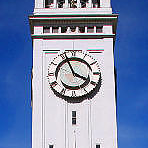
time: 3:56
